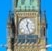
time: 12:26
